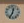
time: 12:34
